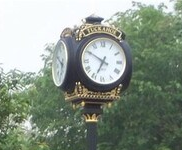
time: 6:50
